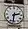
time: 2:31
